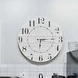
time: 6:15
